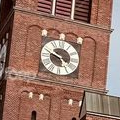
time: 9:48
